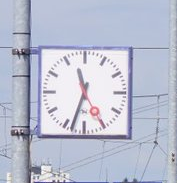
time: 11:33
